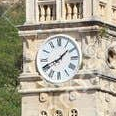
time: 1:41
